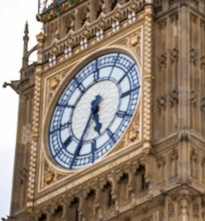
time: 5:35
